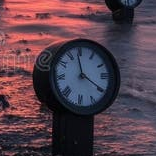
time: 3:58
